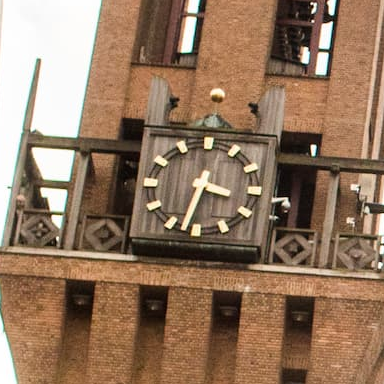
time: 3:32
